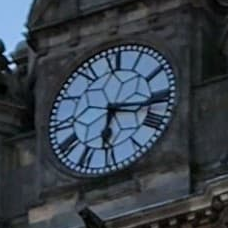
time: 6:16
